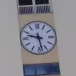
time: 9:28
